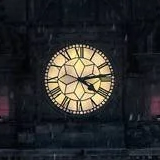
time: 4:13
